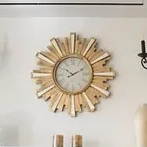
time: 10:10
